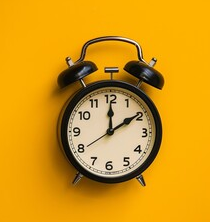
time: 12:09
